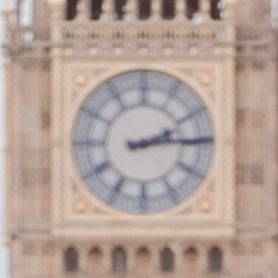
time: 2:14
